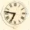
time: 6:46
